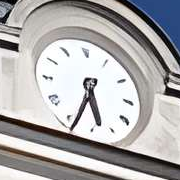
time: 5:33
